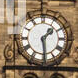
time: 1:29
